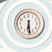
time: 6:28
